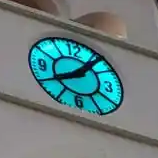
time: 8:06
